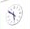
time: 5:51
